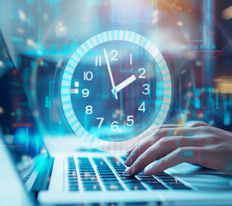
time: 1:57
